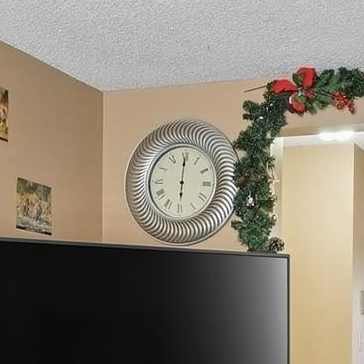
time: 6:00
